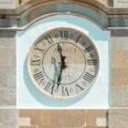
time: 11:32
